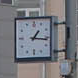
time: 1:16
